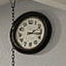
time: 2:16
